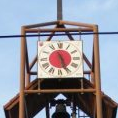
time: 5:26
